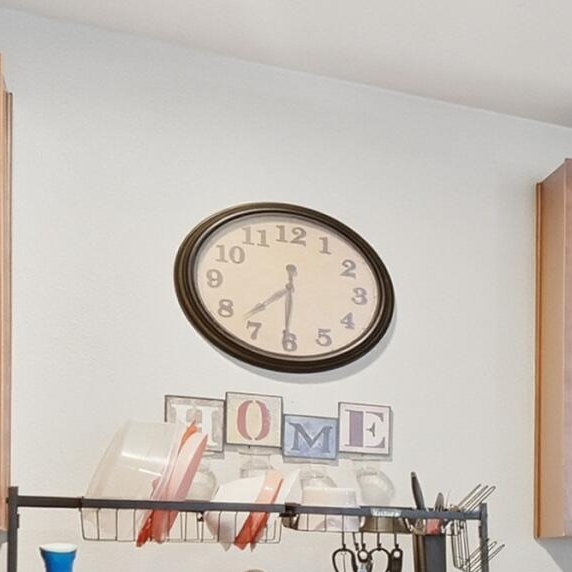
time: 7:30
